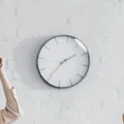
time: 1:35
